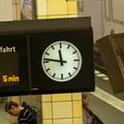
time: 11:46
